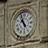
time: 10:56
